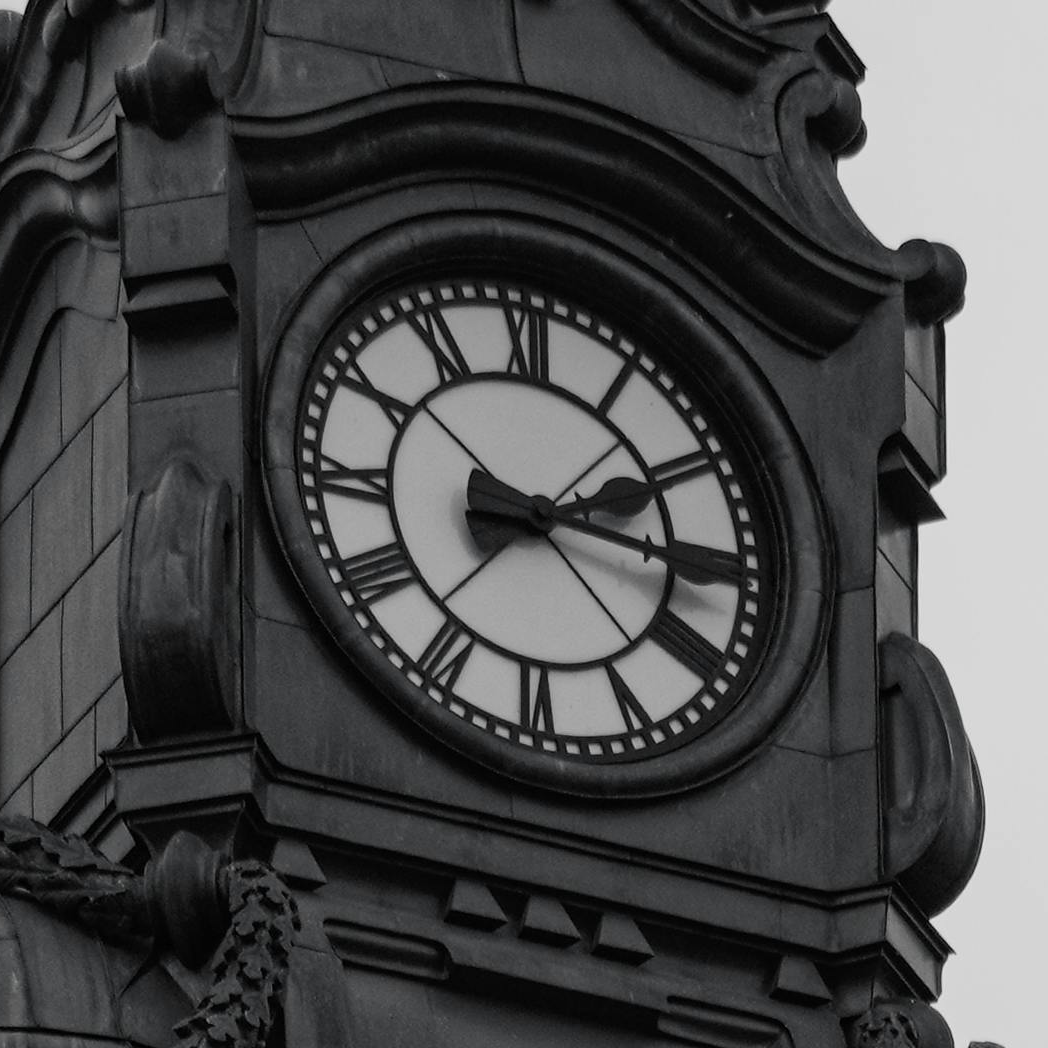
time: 2:15
